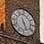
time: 5:26
